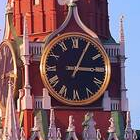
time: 3:04
